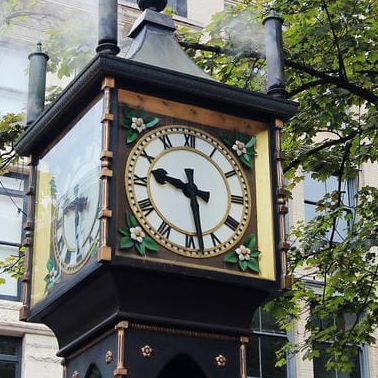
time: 9:28
